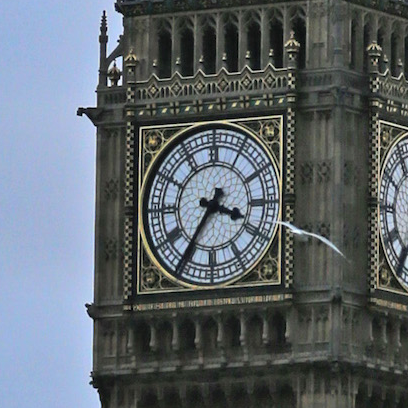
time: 3:35
